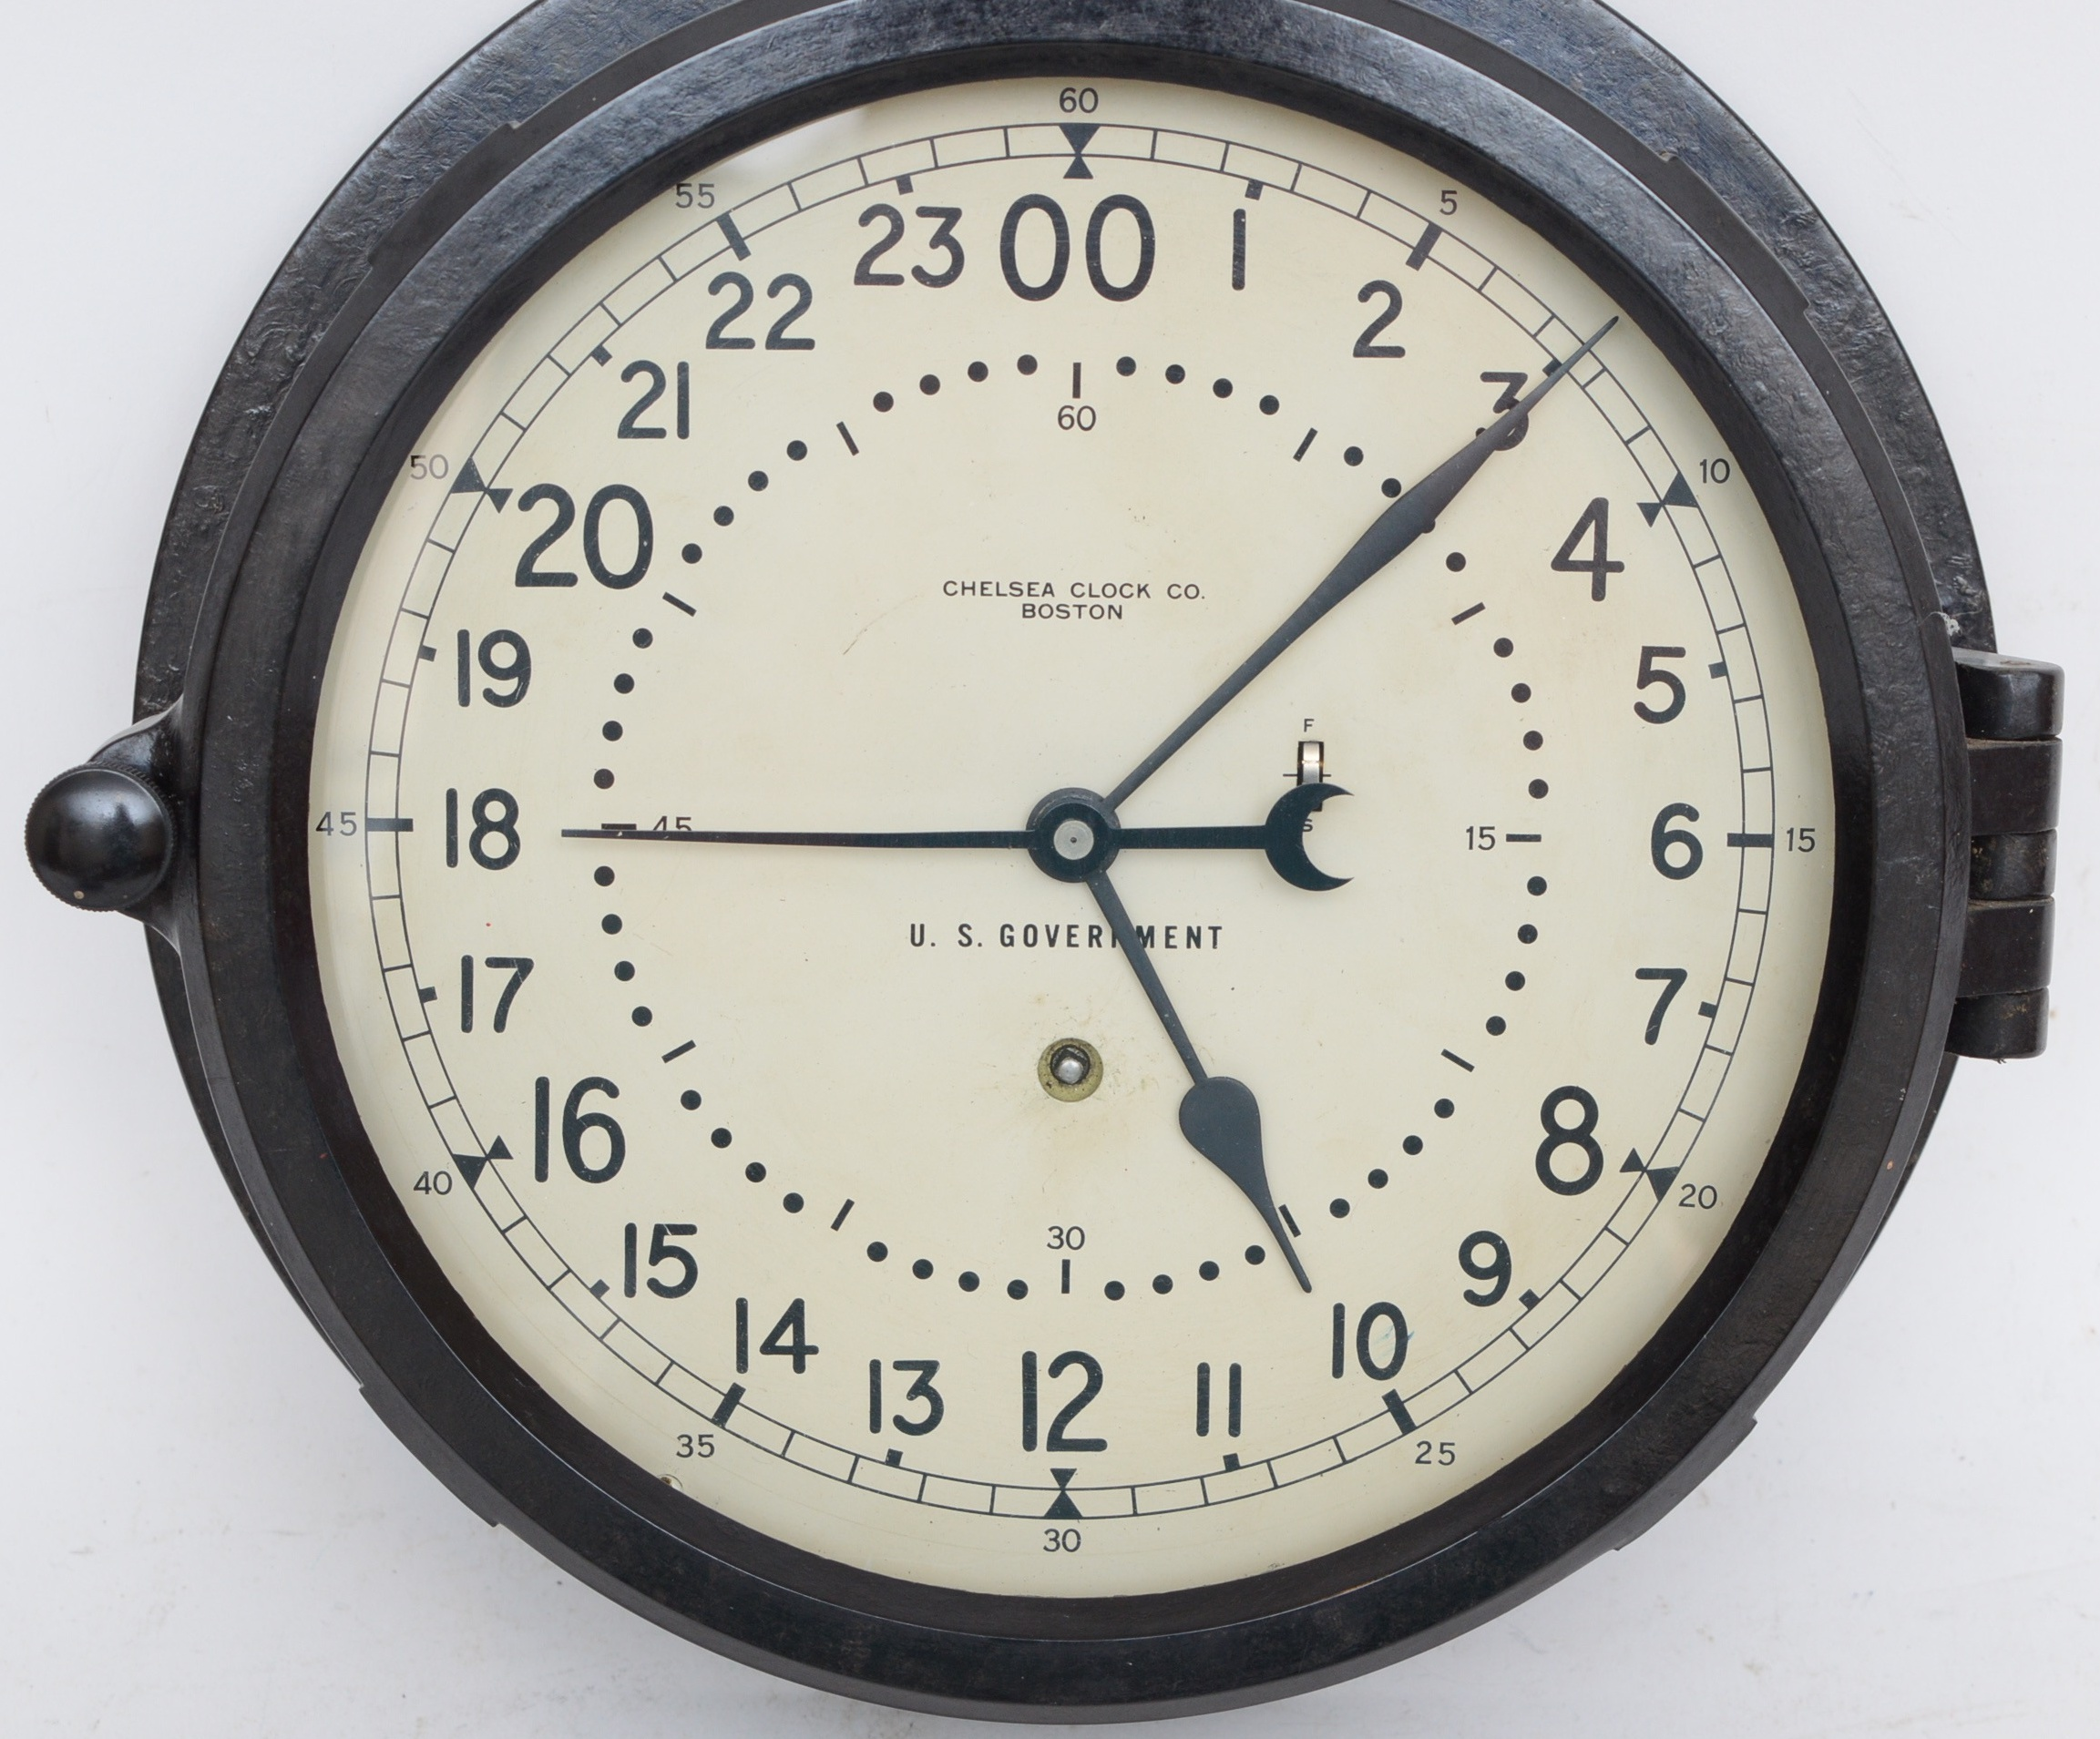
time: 5:07
